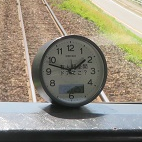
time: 1:47
